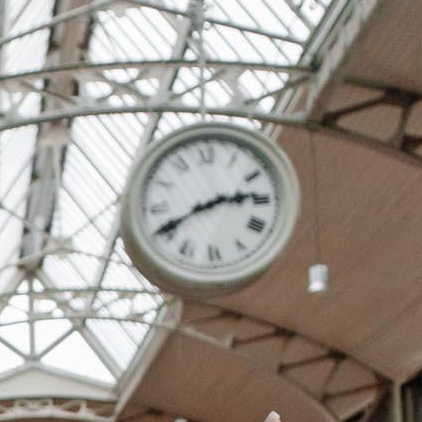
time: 2:40
